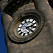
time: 2:21
